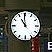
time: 10:59
